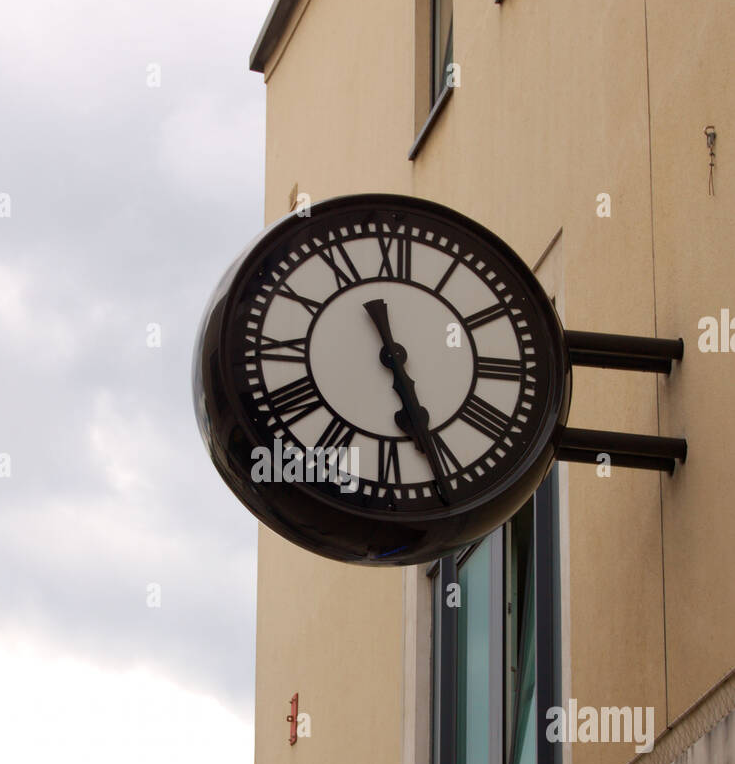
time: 11:26
